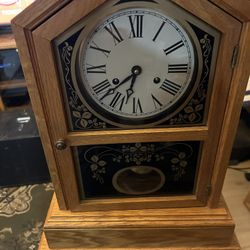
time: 6:38
